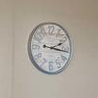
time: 2:16
